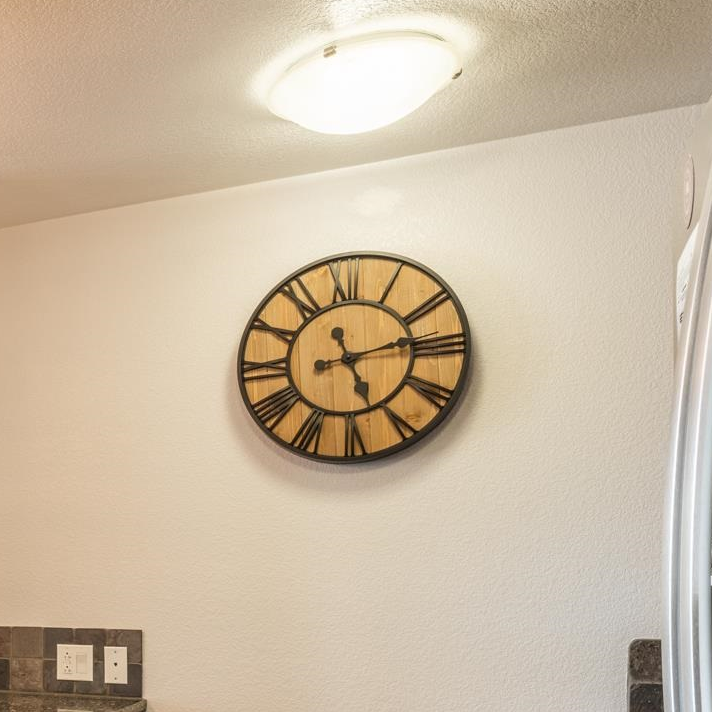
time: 5:13
